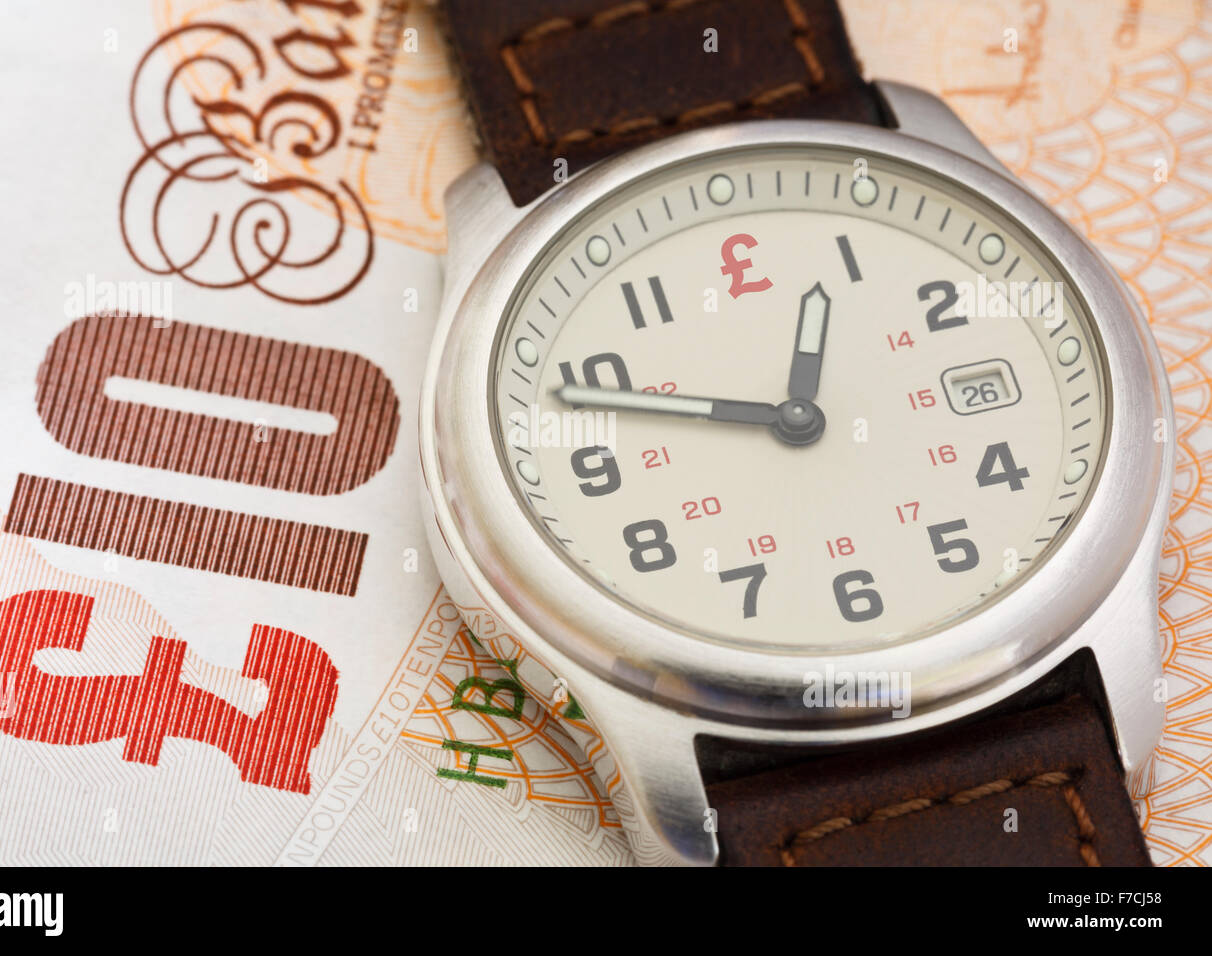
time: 12:48
